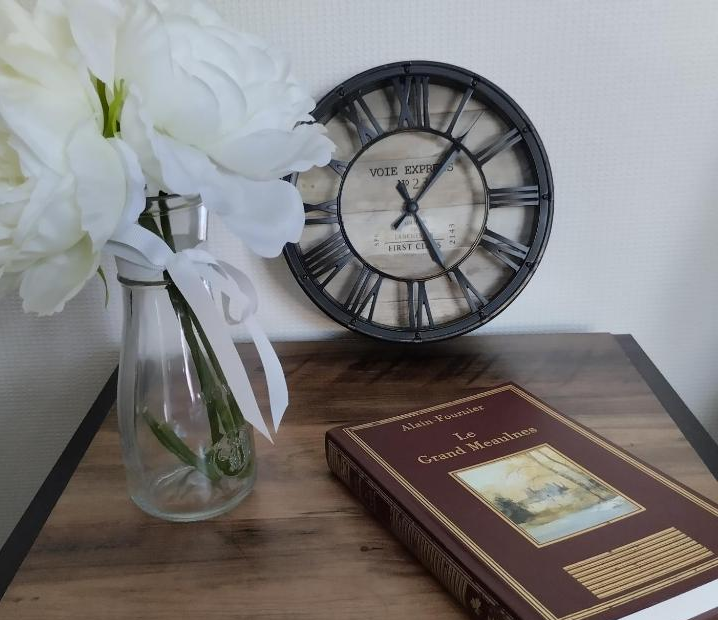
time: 5:06
